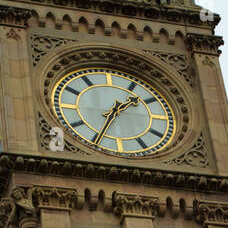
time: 1:34
